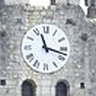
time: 11:17
